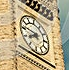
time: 7:46
